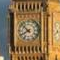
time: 7:52
